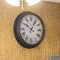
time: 10:05
